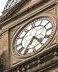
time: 4:35
